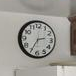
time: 2:34
